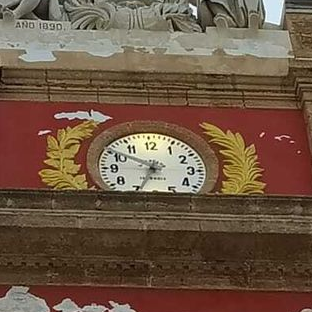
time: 6:50
